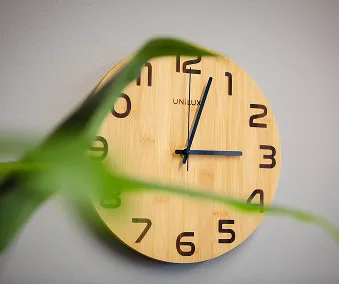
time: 3:02
